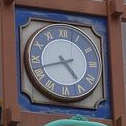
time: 4:42
